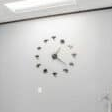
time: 1:22
